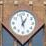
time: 12:57
